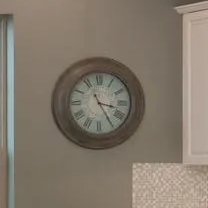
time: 3:24
